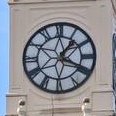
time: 1:18
